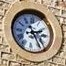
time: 2:24
